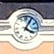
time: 4:04
